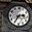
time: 2:35
